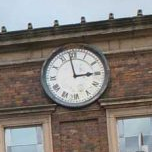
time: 2:58
